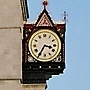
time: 3:35
